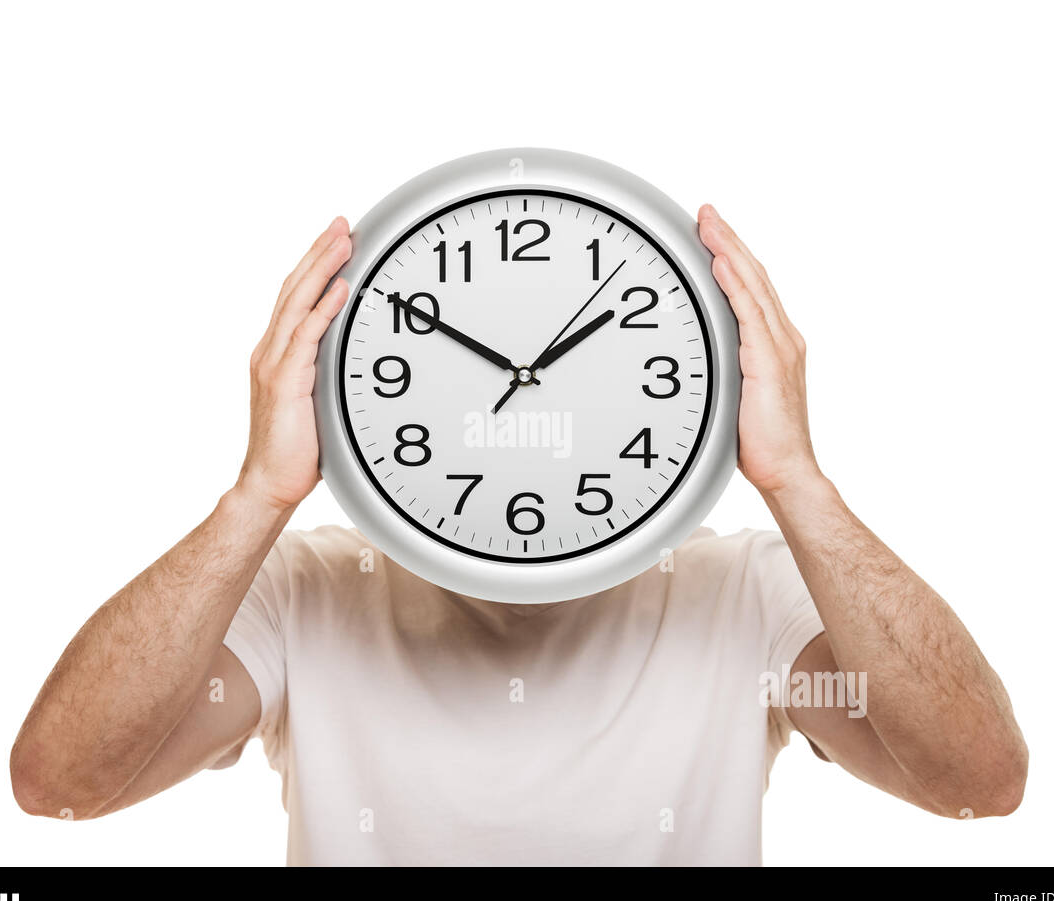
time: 1:50
